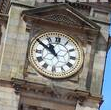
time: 10:50
